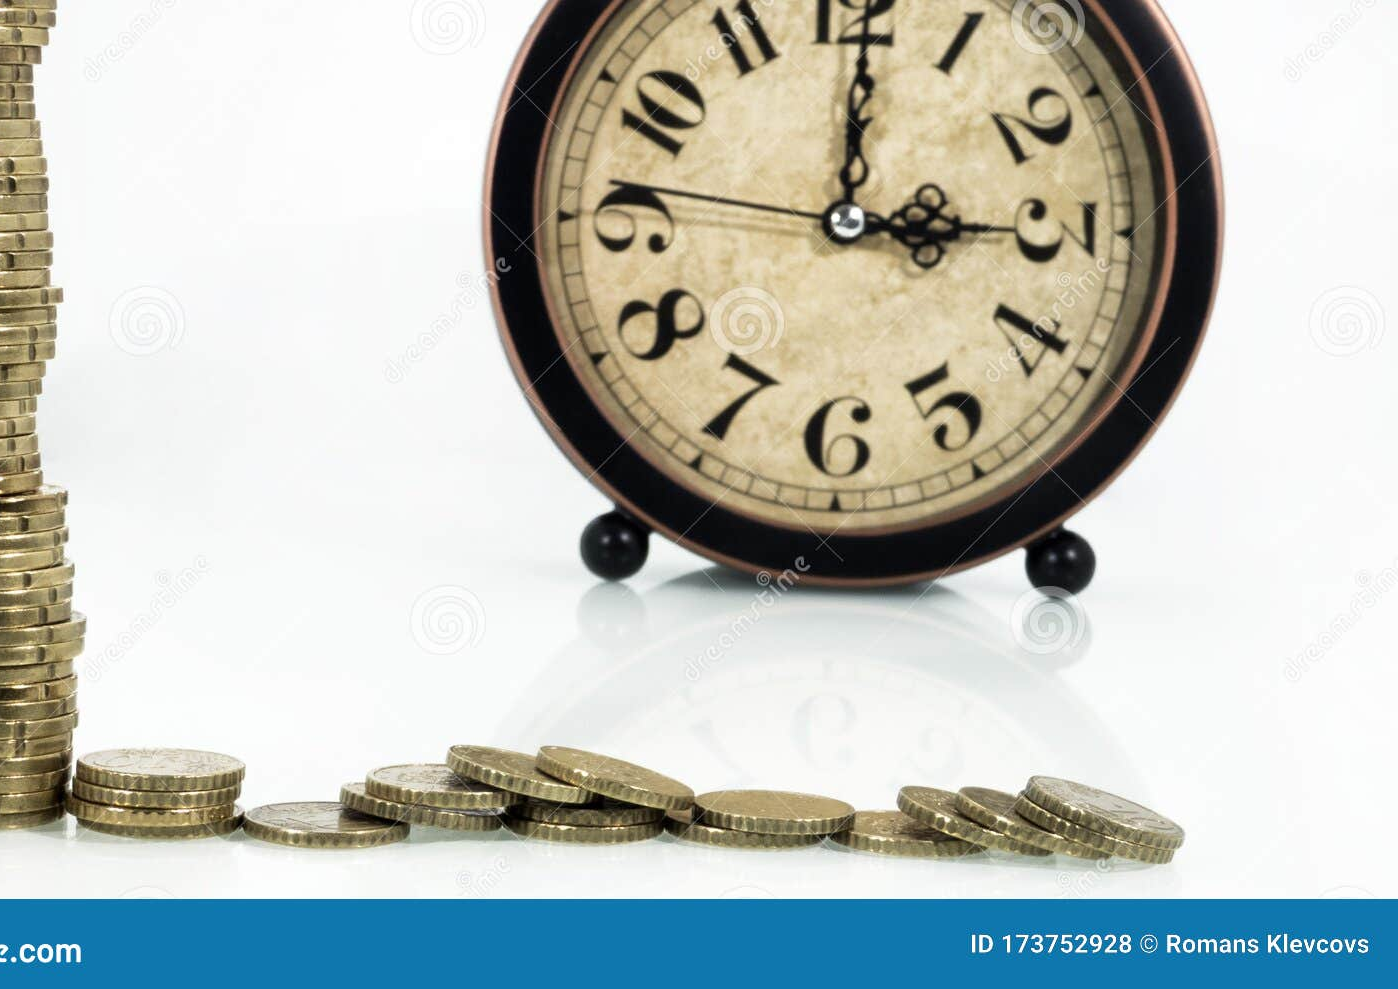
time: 3:00
